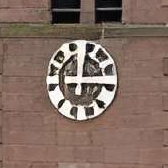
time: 12:14
